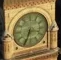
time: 3:33
